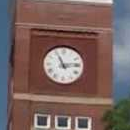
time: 11:13
